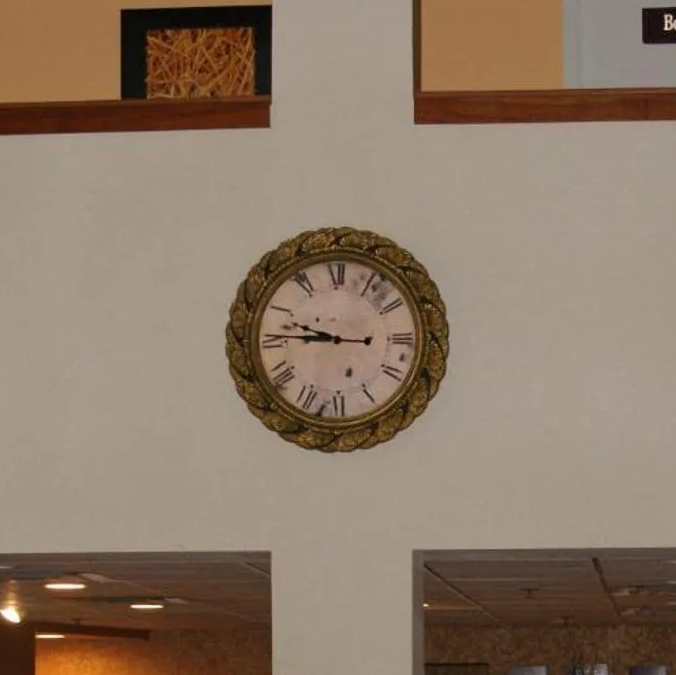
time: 9:45
